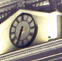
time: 6:34
